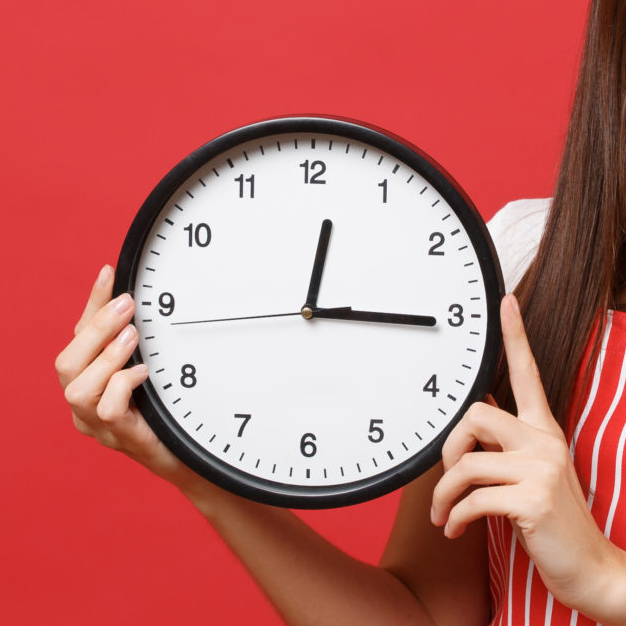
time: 12:15
